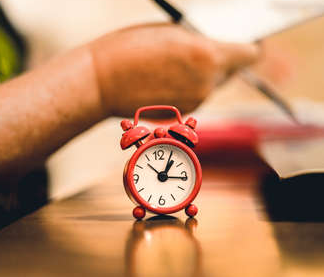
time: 1:16
